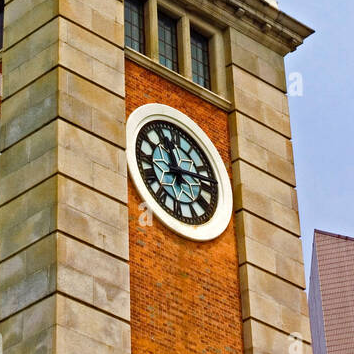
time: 12:14
